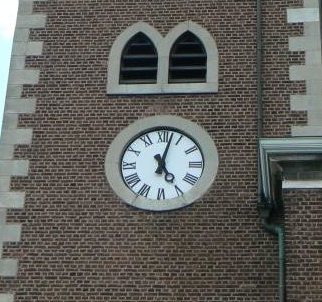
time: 5:02
